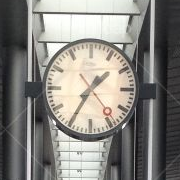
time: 1:35
